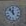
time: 11:53
